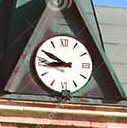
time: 8:49
